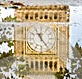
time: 11:23
